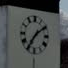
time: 7:09
